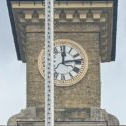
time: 12:13
